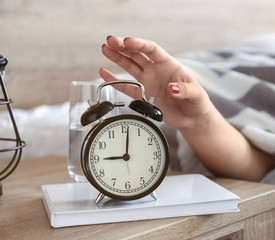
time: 9:01
